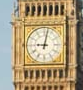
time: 9:01
